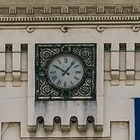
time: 10:06
